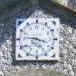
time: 3:46
